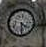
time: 4:29
